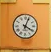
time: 4:03
